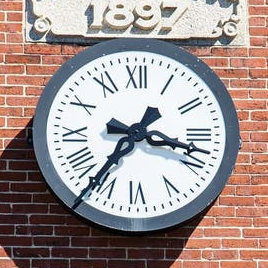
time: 7:17
